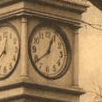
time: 12:38
